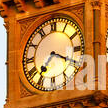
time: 7:19
